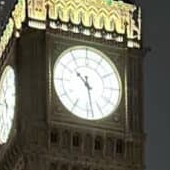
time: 10:28
